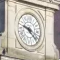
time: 9:22
